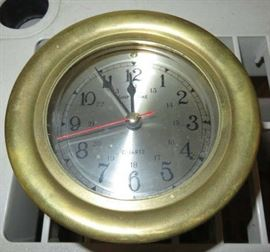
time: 11:54
